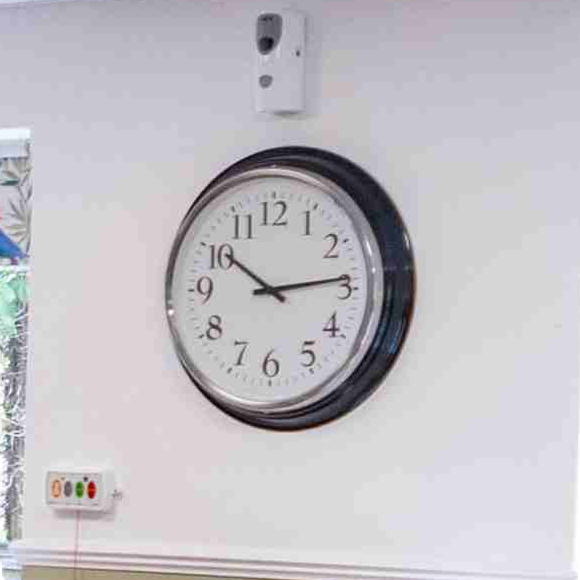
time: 10:13
